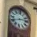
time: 8:12
